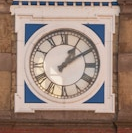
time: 1:09
